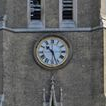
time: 10:26
